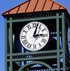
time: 3:02
